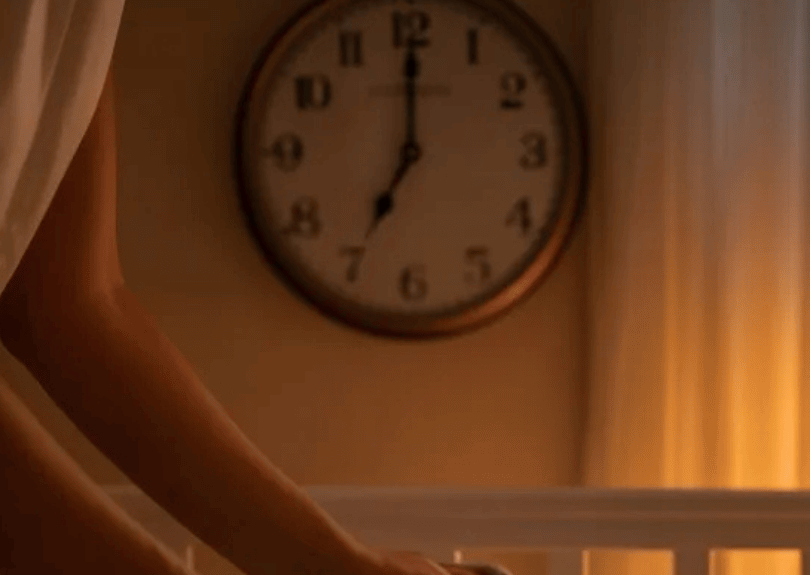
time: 7:00
